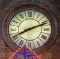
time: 8:11
